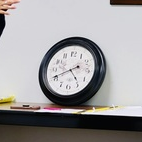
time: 4:40
